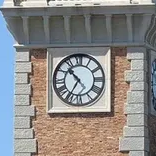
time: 10:35
